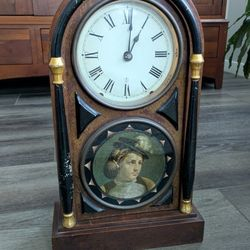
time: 1:01
